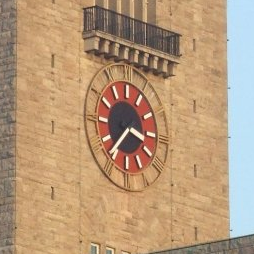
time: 3:36
